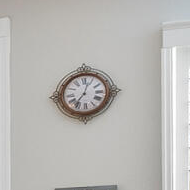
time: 7:03
